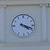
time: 4:18
